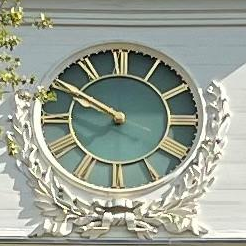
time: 9:50
